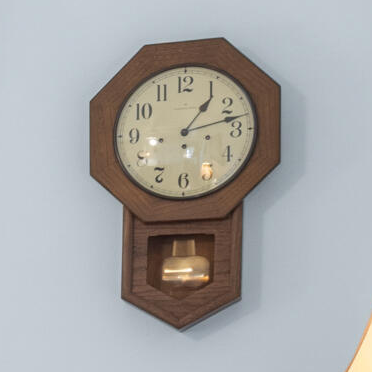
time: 1:12
